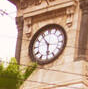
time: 5:54
